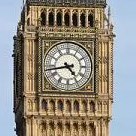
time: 4:43
